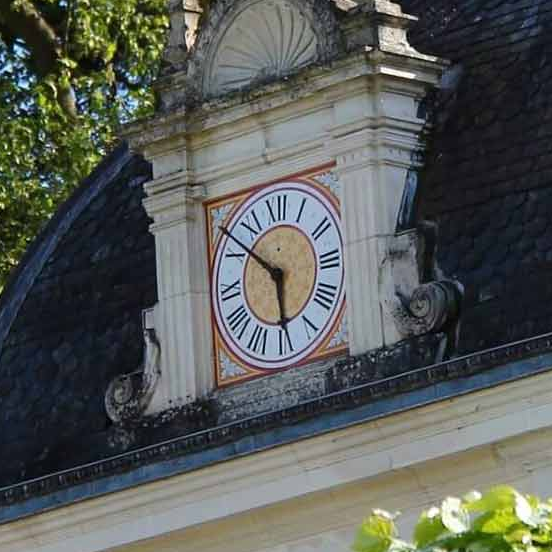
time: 5:51
